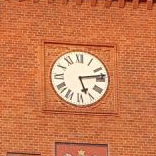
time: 5:13
